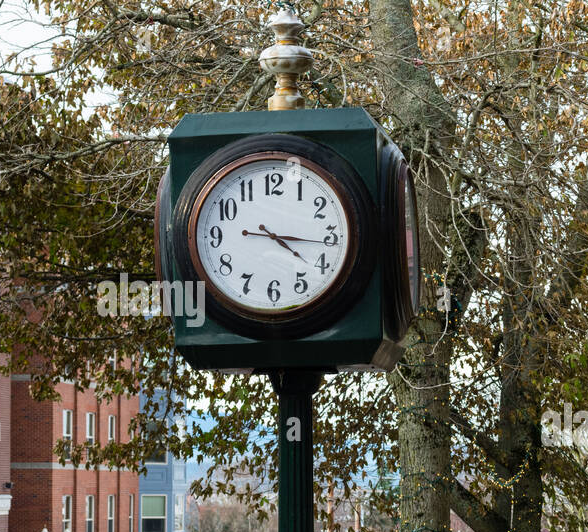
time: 4:16
